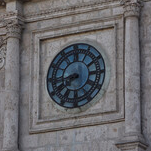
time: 8:38
